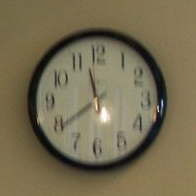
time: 11:39
